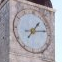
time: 1:13
